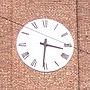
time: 3:30
